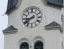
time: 8:38
